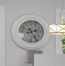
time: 2:24
